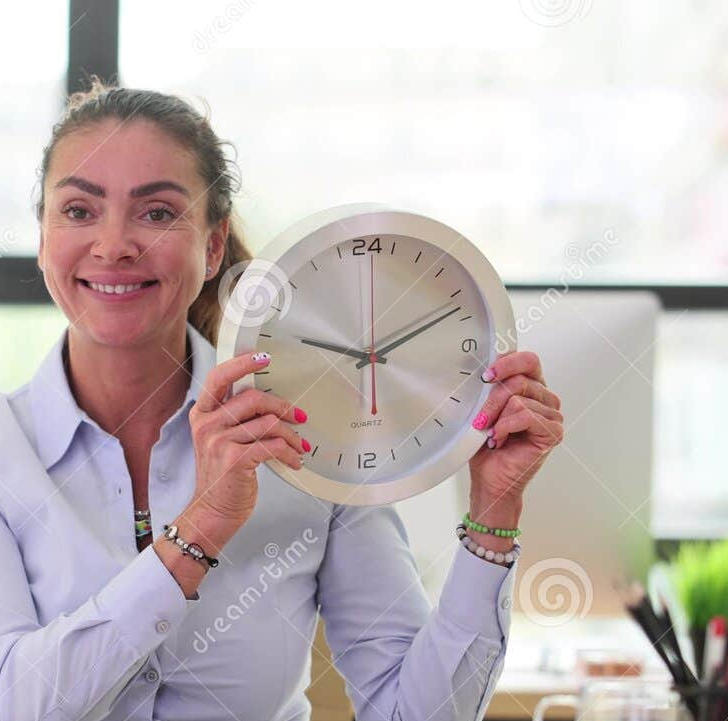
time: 9:10
